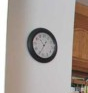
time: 10:34
